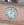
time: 12:07
